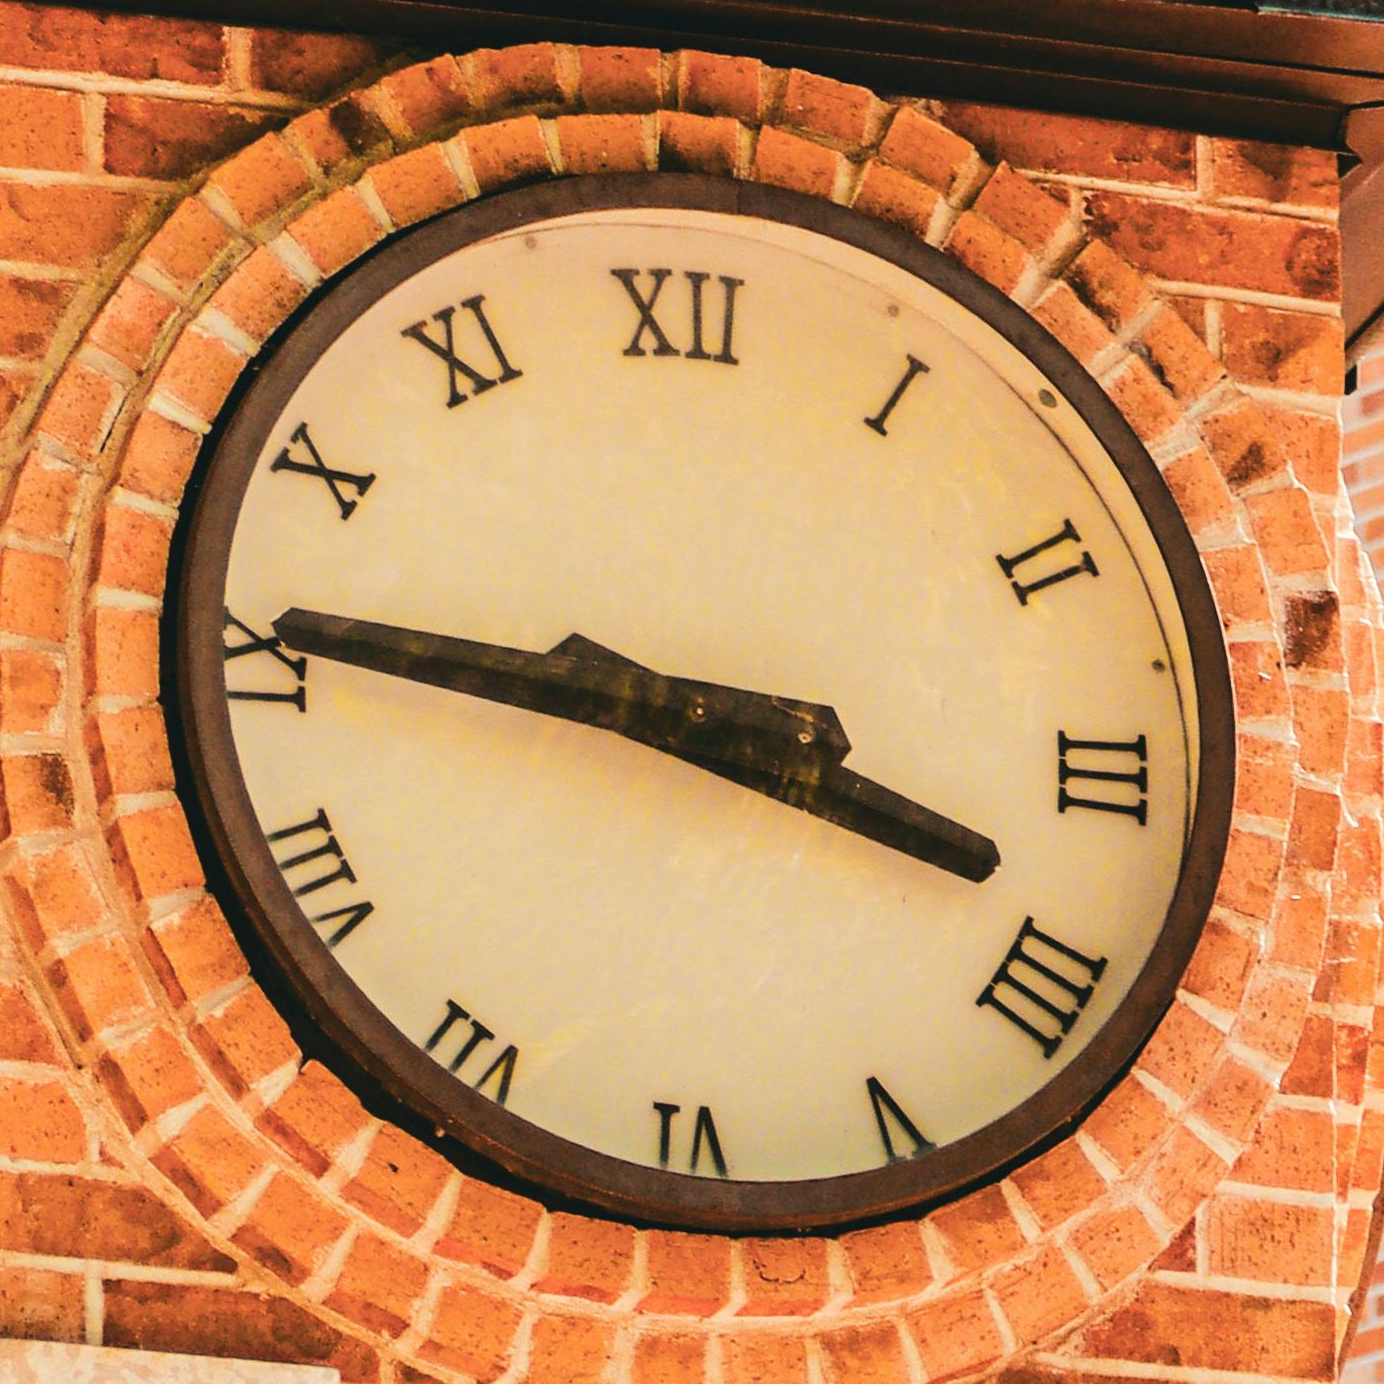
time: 3:46
